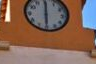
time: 6:00
